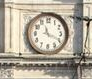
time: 11:19
